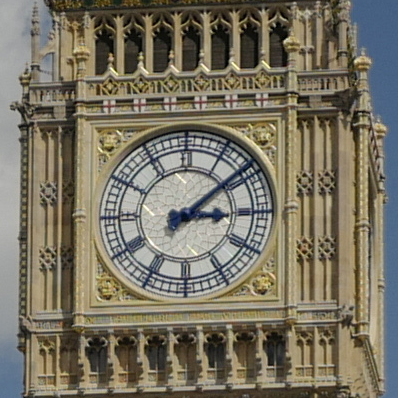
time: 3:08
